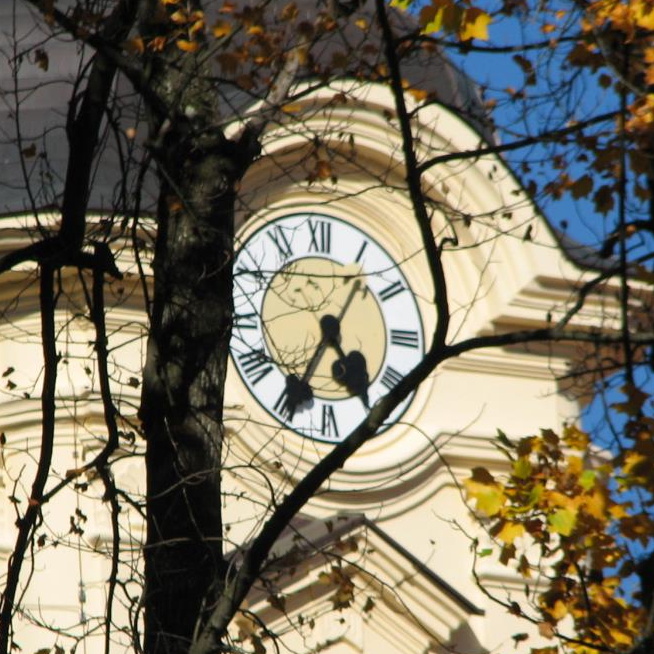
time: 4:35
